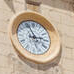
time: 2:56
